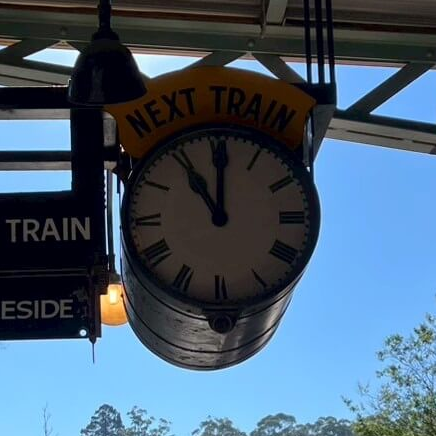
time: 11:00
